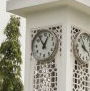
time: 12:53
